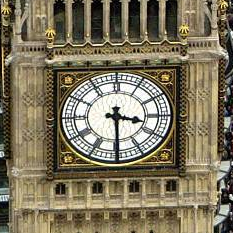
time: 3:29
